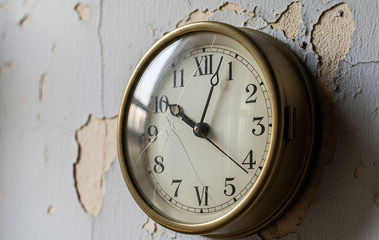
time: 10:03
